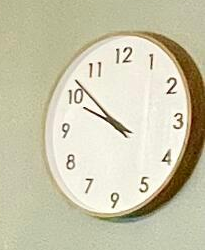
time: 9:51
